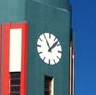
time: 11:07
